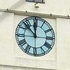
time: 11:52
